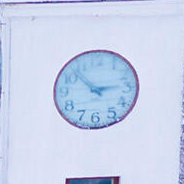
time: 2:52
